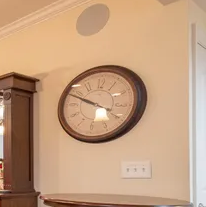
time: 9:48
